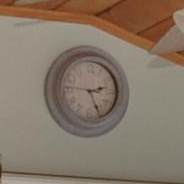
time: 2:25
